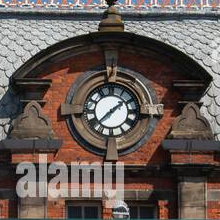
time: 1:36
